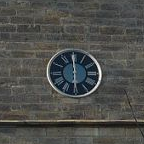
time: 5:59
